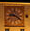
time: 9:20
